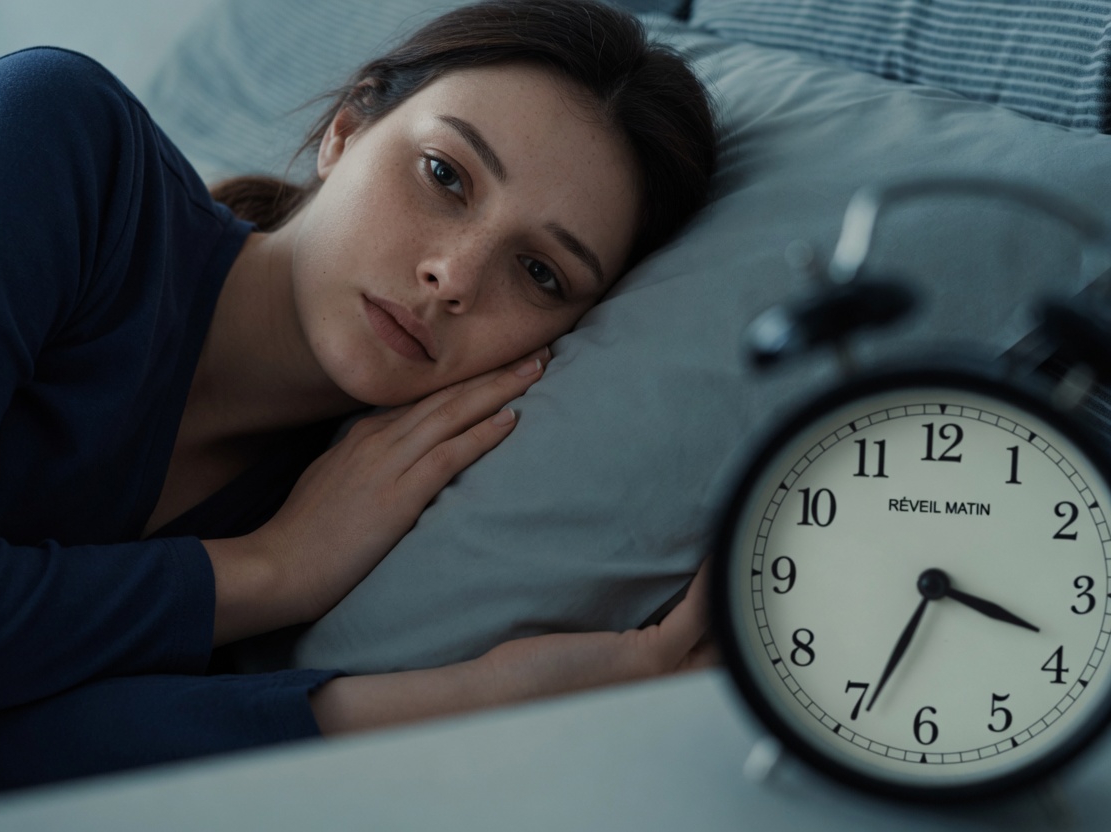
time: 3:34
